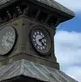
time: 4:08
